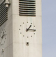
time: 1:16
